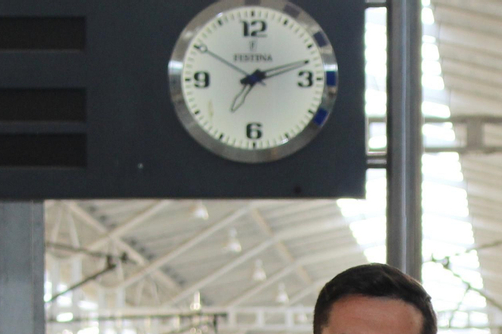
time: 7:12
